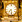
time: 7:28
